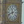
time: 11:41
